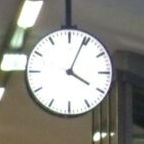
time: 4:04
